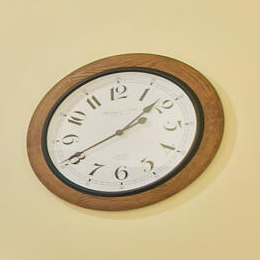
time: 1:40
